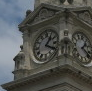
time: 1:18
